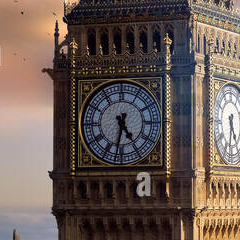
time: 4:32
